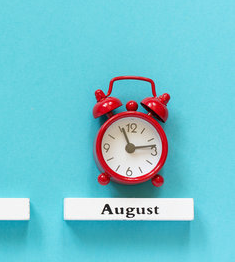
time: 11:13
